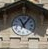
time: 11:05
